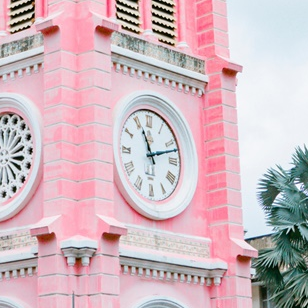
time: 11:12
